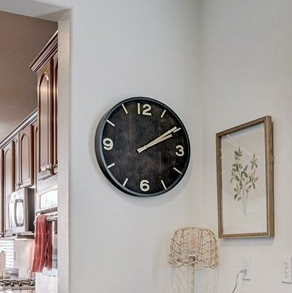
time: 2:09
